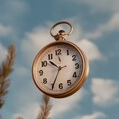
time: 10:34
